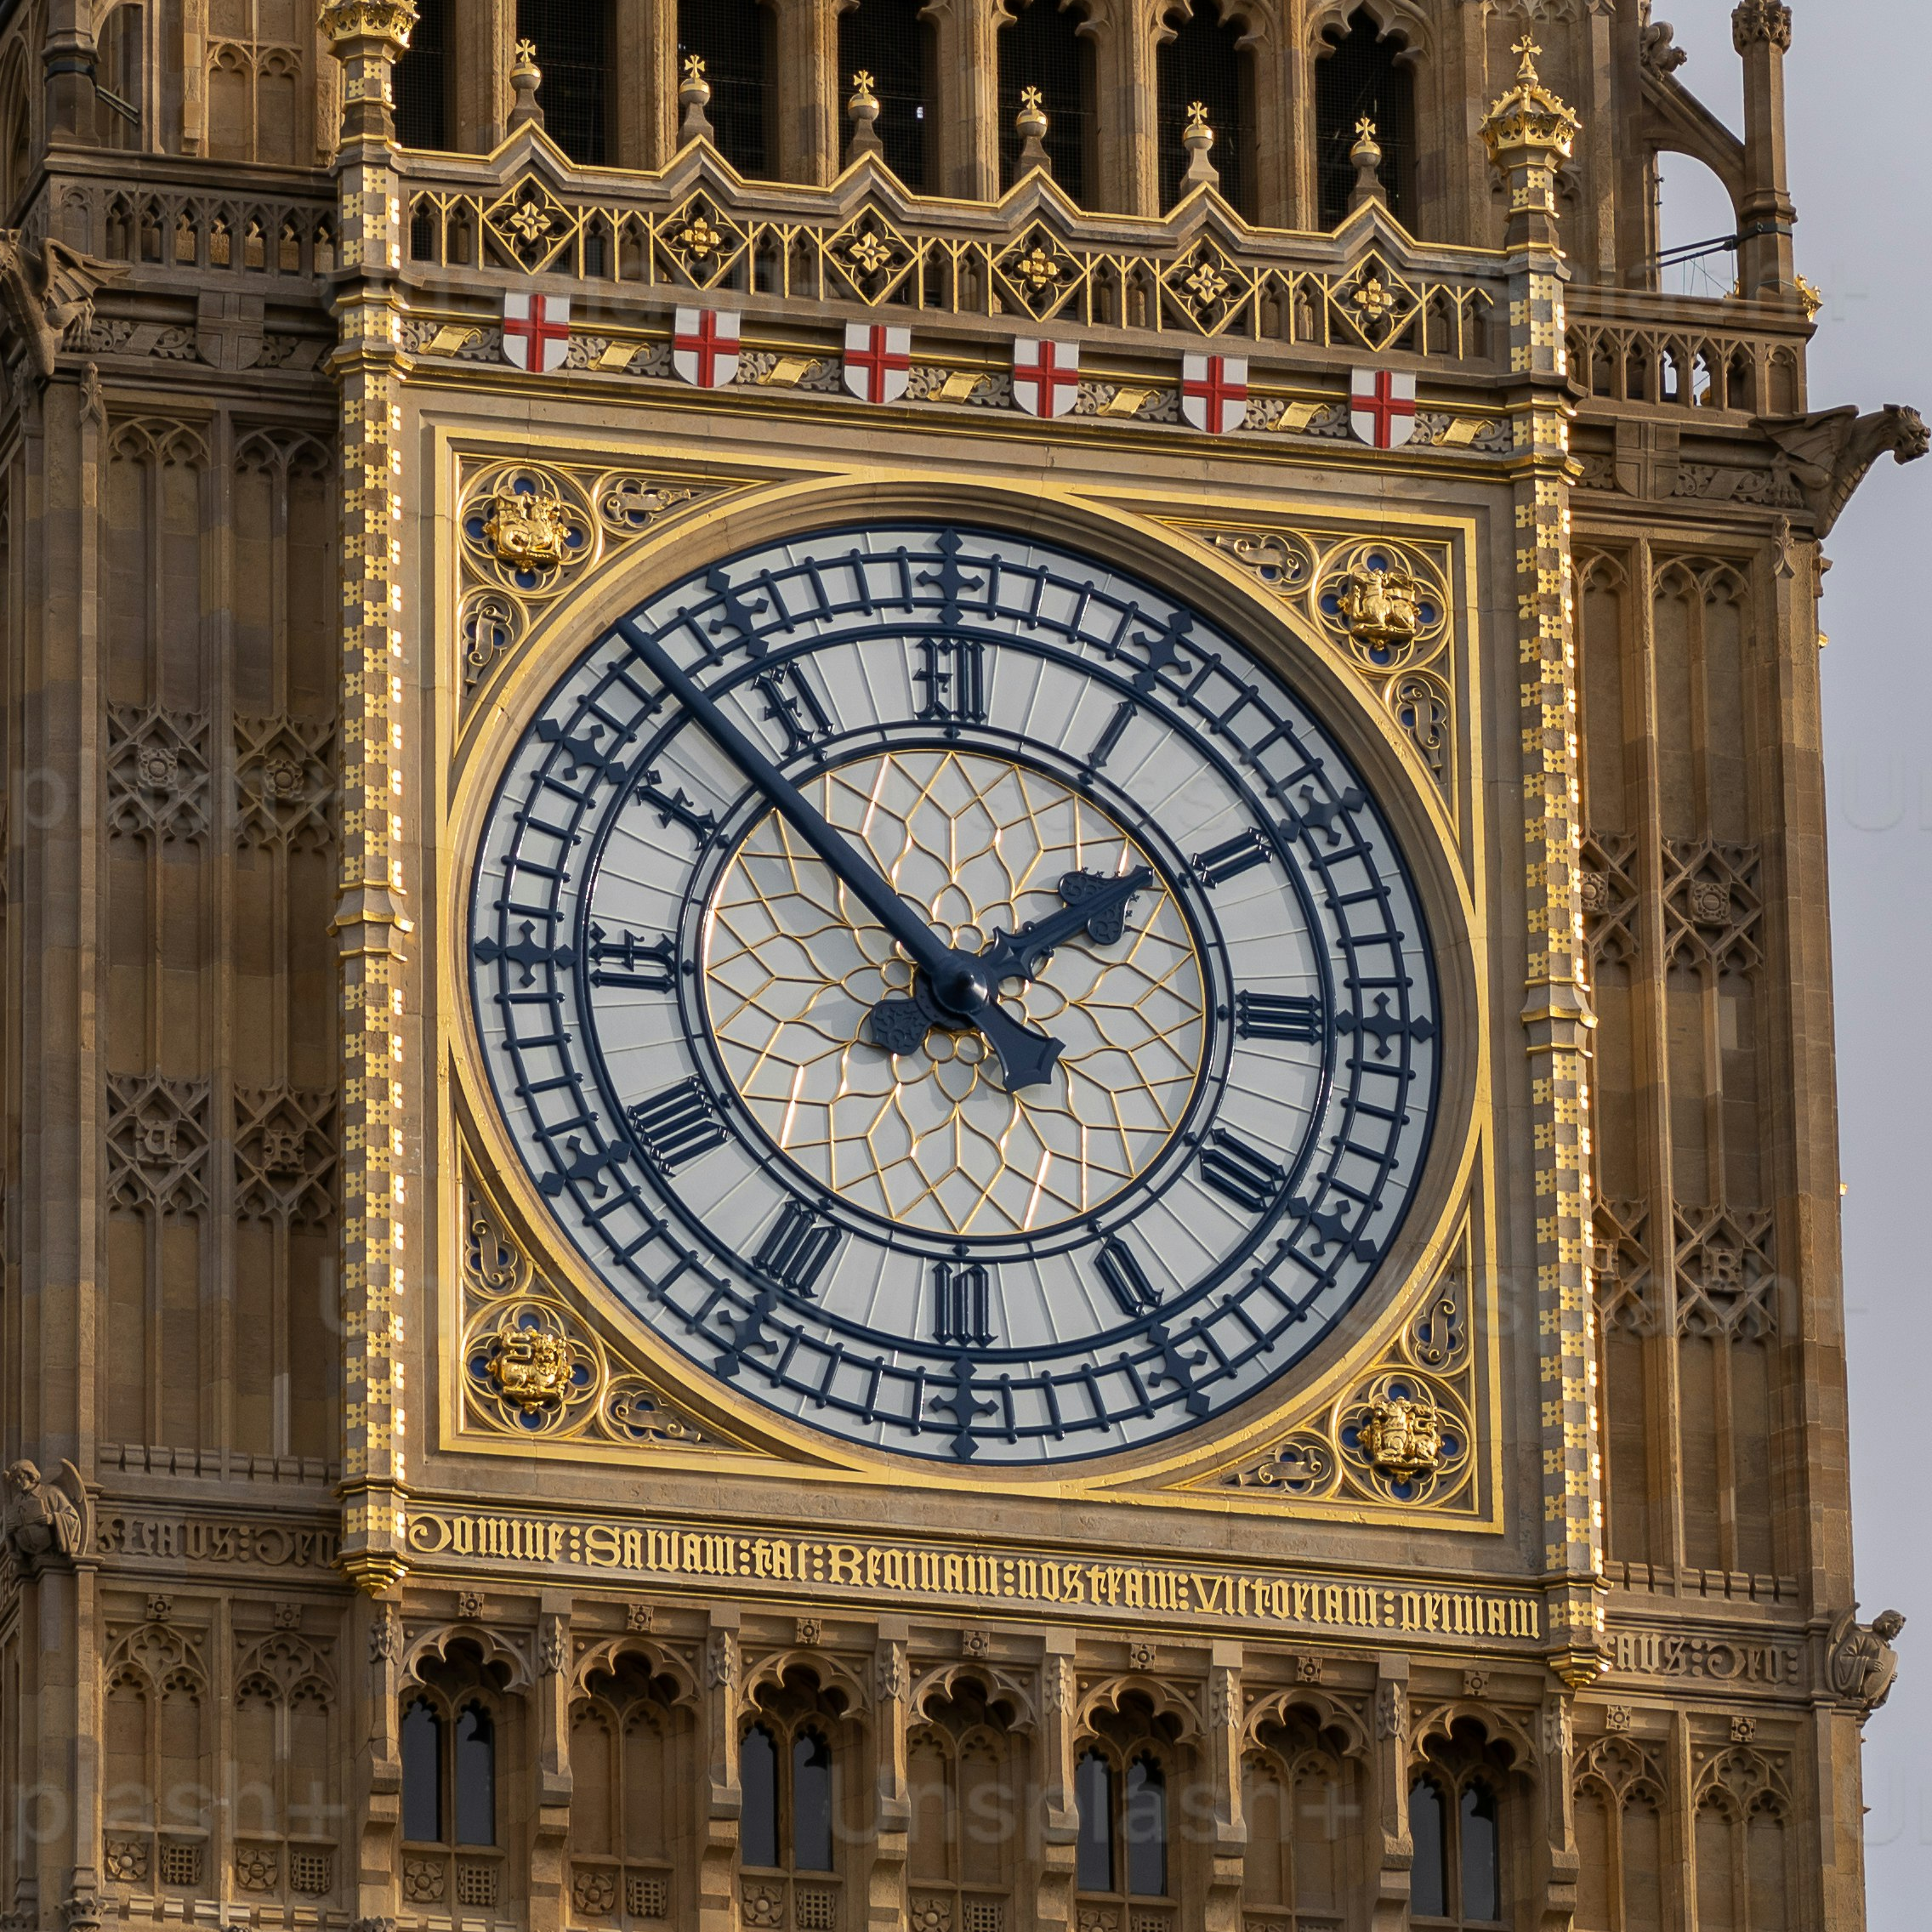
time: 1:52
